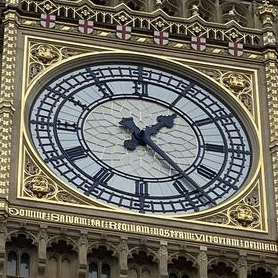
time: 1:23
